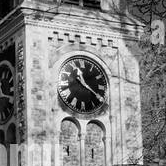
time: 11:20
